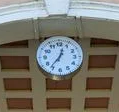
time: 12:36
